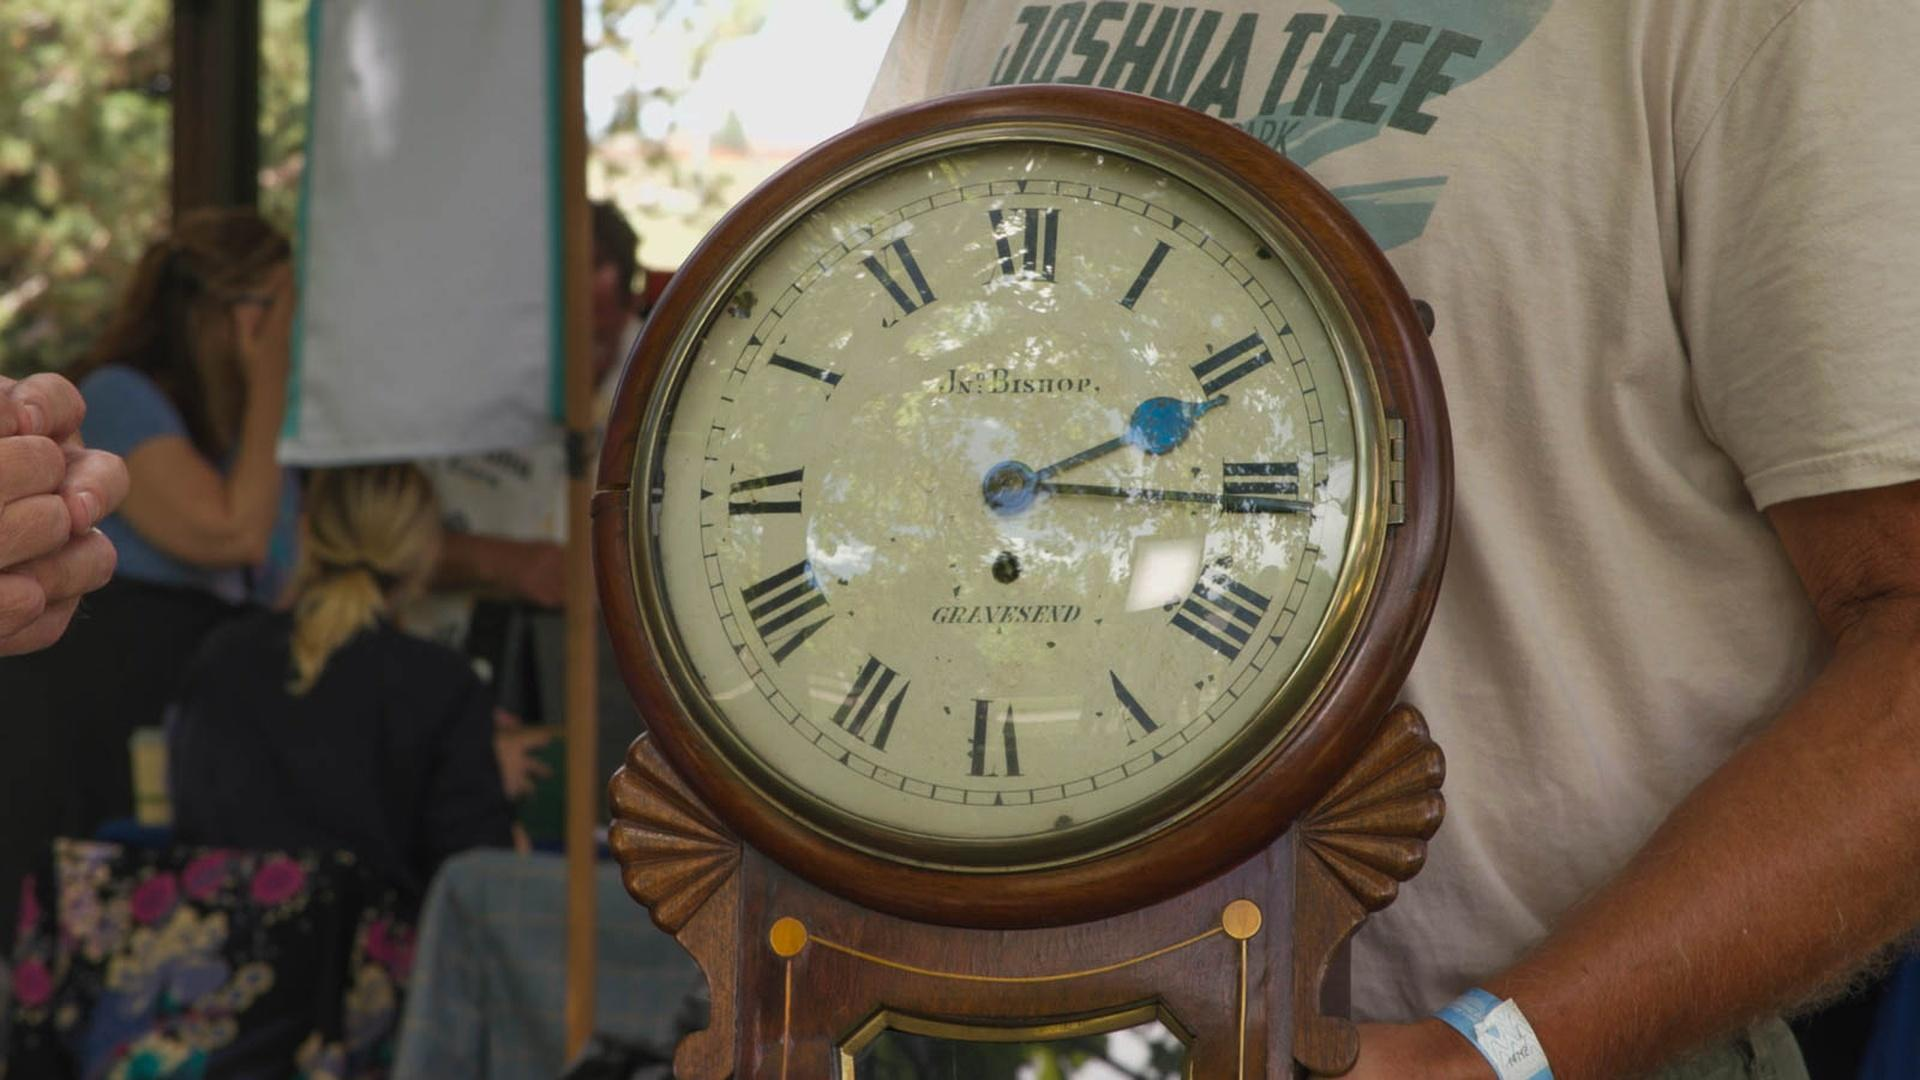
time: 2:15
